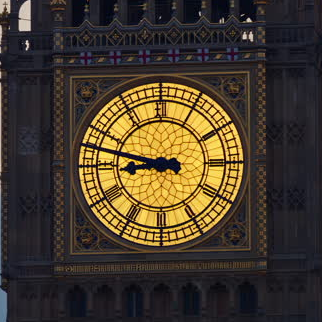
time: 8:47
